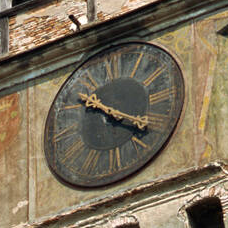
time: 10:20
